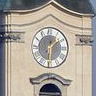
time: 6:08
